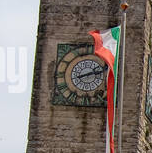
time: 2:11
